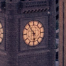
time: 5:54
